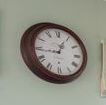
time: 12:44
